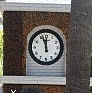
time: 11:56
